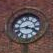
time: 3:43
